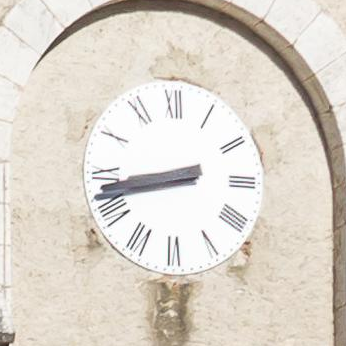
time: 8:42
